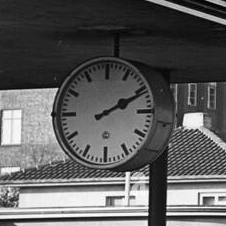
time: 2:10
